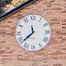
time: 11:38
